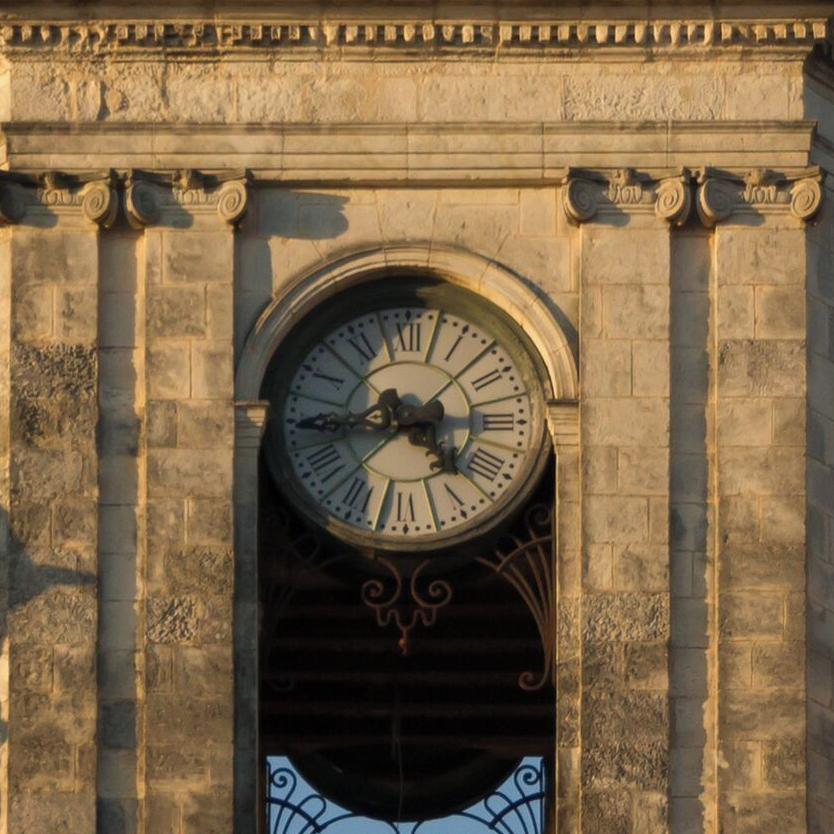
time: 4:44
